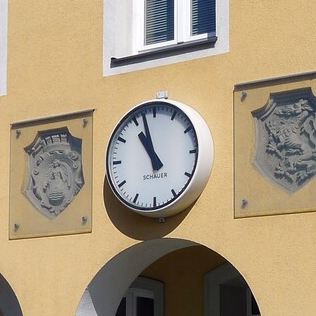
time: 10:57
